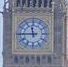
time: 11:45
